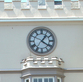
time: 1:20
